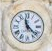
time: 11:22
